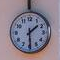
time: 1:29
